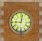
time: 9:01
